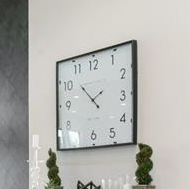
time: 1:52
